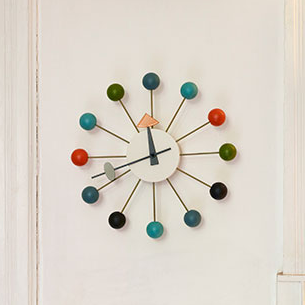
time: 11:41
